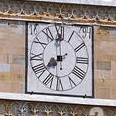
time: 7:59
